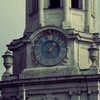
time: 1:09
